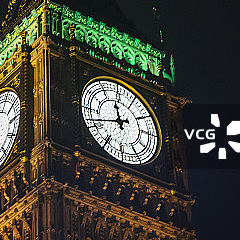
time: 11:41
